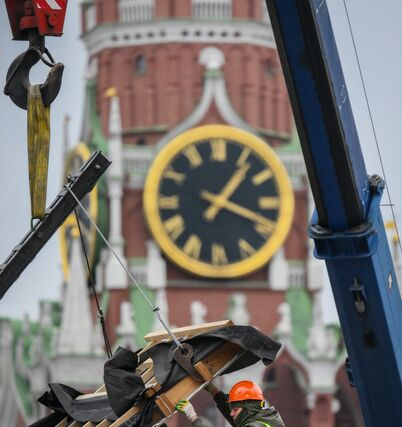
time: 1:18
